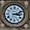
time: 3:11
